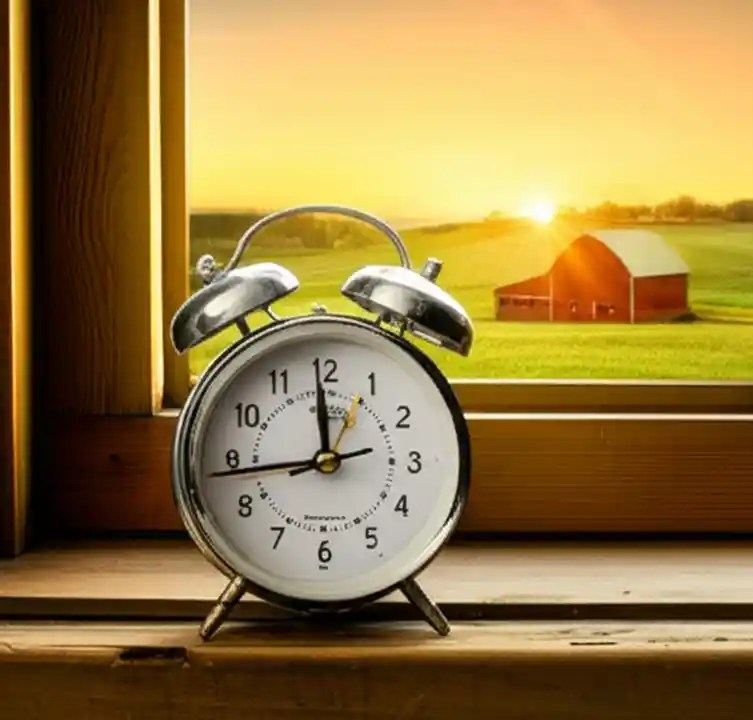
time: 11:43
